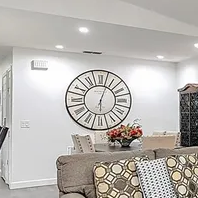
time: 6:03
